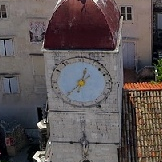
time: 12:37
